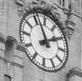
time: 1:56
